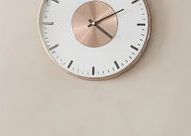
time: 4:10
